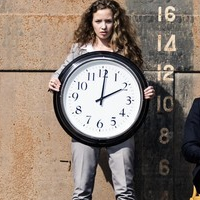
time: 2:01
